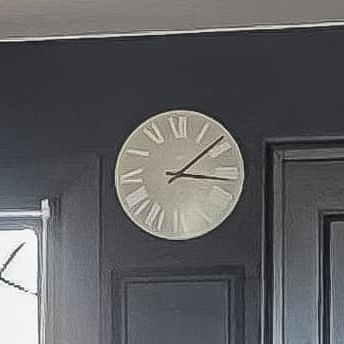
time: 3:08
